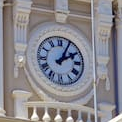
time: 2:04
